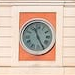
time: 11:25
